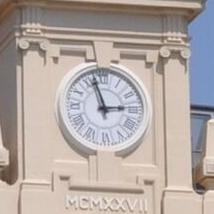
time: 2:57
